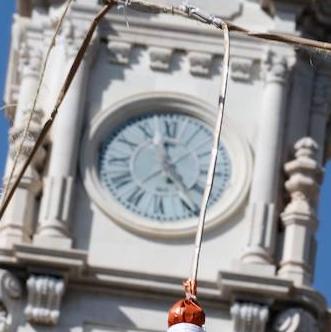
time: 4:59
